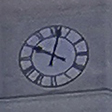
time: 10:02
